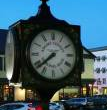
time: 7:38
